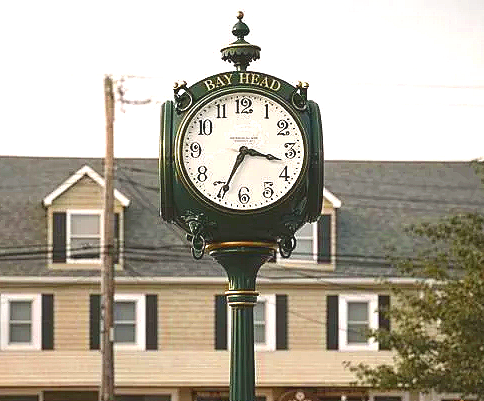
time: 3:34
